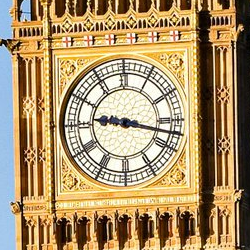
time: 9:17
